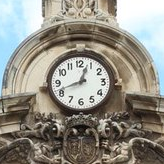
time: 12:41
